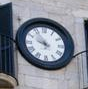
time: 9:55
